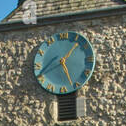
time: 1:26
